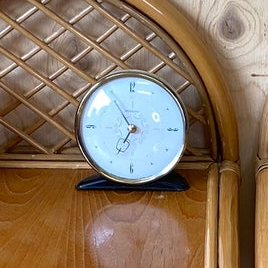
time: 6:54
